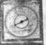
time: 8:11
